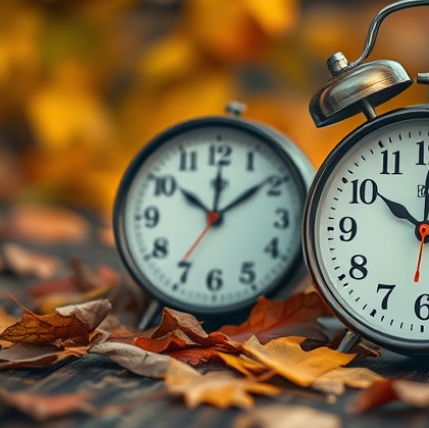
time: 10:08
